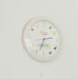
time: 2:33
